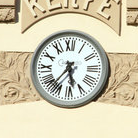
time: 5:36
